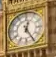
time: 12:24
